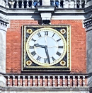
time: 9:27
